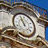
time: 10:56
